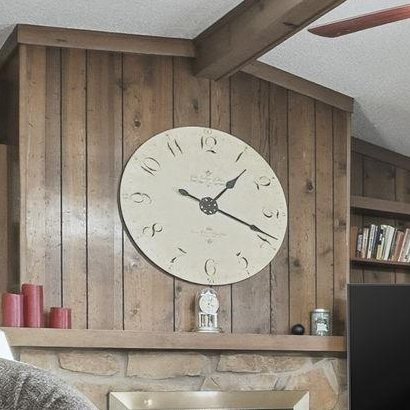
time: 1:18
